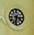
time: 3:32
